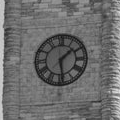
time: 1:28
